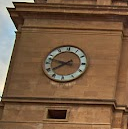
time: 7:47
